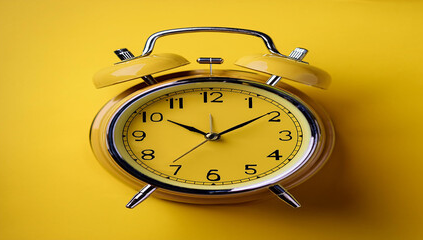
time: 10:09
